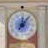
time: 12:06
